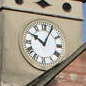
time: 10:04
